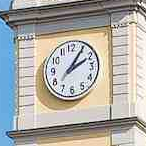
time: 2:05
